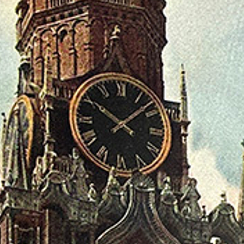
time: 10:07
